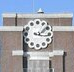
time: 1:16
